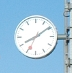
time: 8:09
